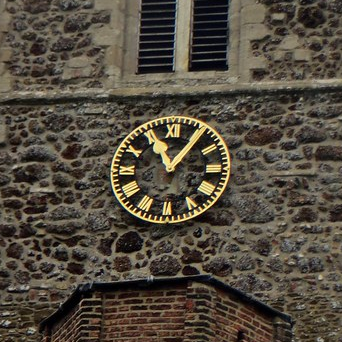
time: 11:05
